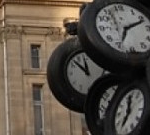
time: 11:52
